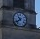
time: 10:39
